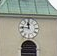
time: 11:46
